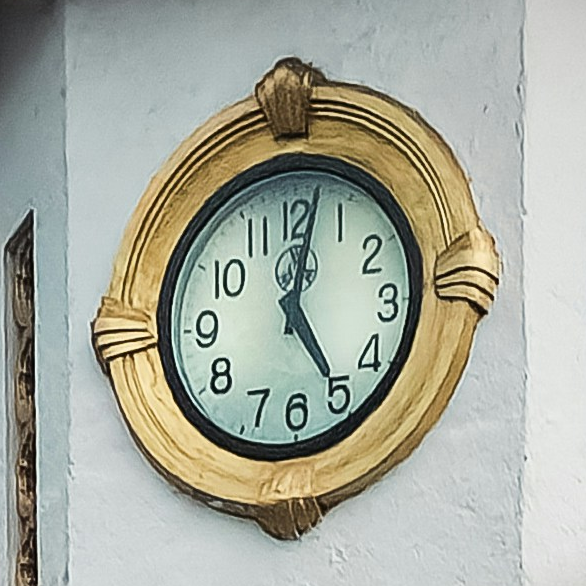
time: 5:01
